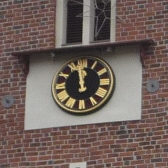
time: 11:58
